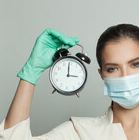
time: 2:59
